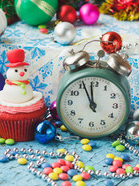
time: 11:55
